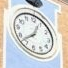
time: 12:37
